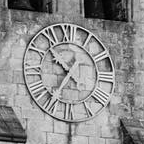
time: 10:35
